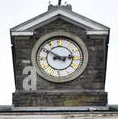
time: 2:50
